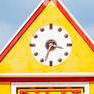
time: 3:33
